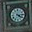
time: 4:14
